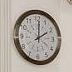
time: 2:01
